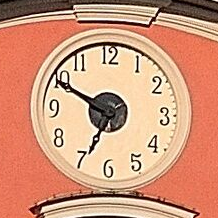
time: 6:49
